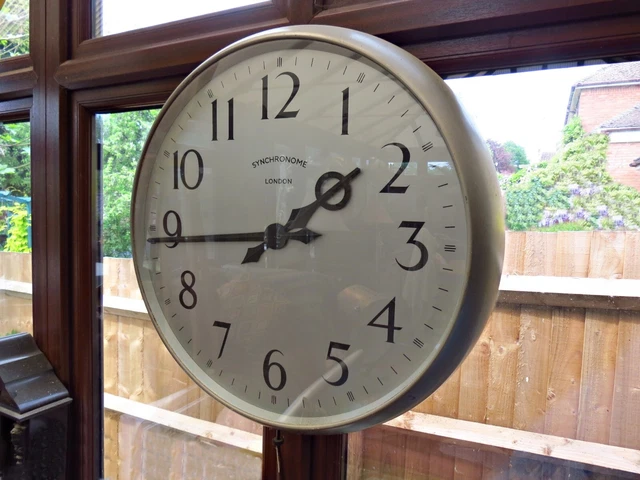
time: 1:44
